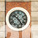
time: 10:24
